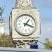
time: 1:18
